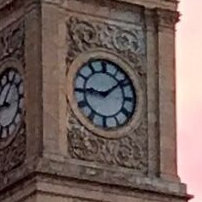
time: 9:08
